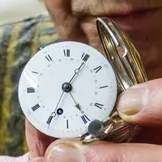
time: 5:06
